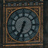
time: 6:33
